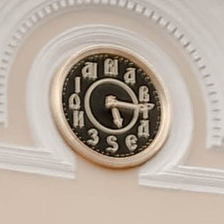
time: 5:15
